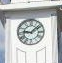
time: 9:08
